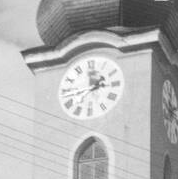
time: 2:00
